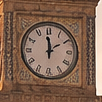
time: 1:59
